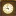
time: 8:57
